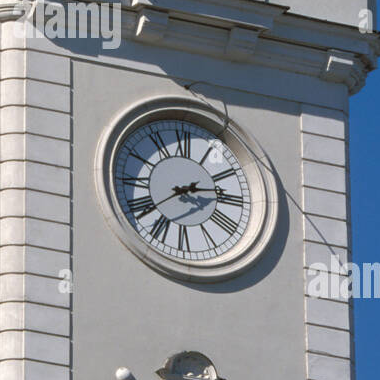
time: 2:38
